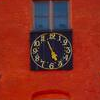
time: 4:56
